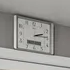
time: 2:14
